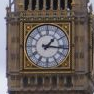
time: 1:16
